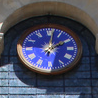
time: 2:01
